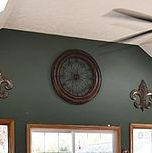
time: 8:01
